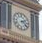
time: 2:21
